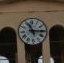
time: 11:15
